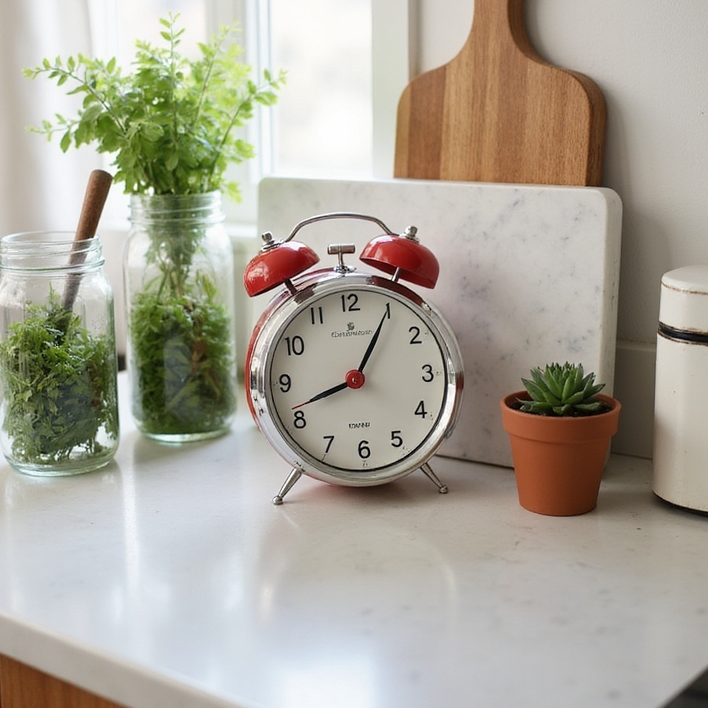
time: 8:05
